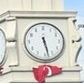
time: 5:28
